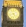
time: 4:42
